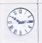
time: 2:50
